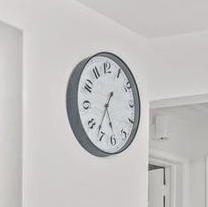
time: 5:36
